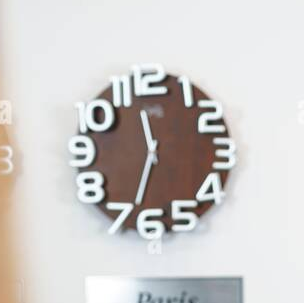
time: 11:33
